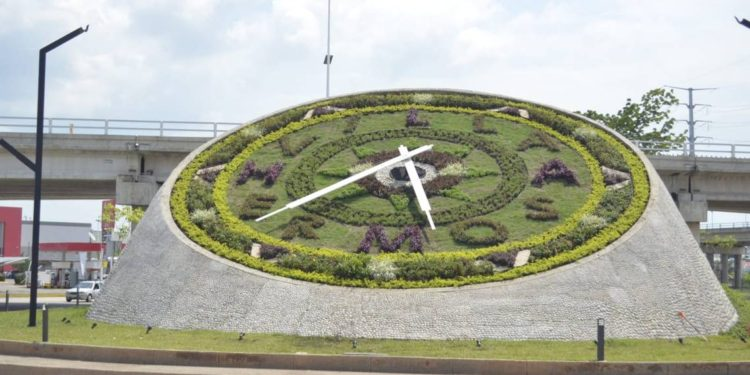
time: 5:37
